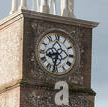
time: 8:32
